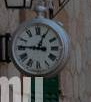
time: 12:46
